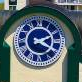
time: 2:19
